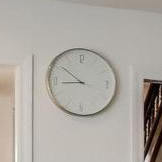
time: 8:51
